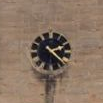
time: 2:21
